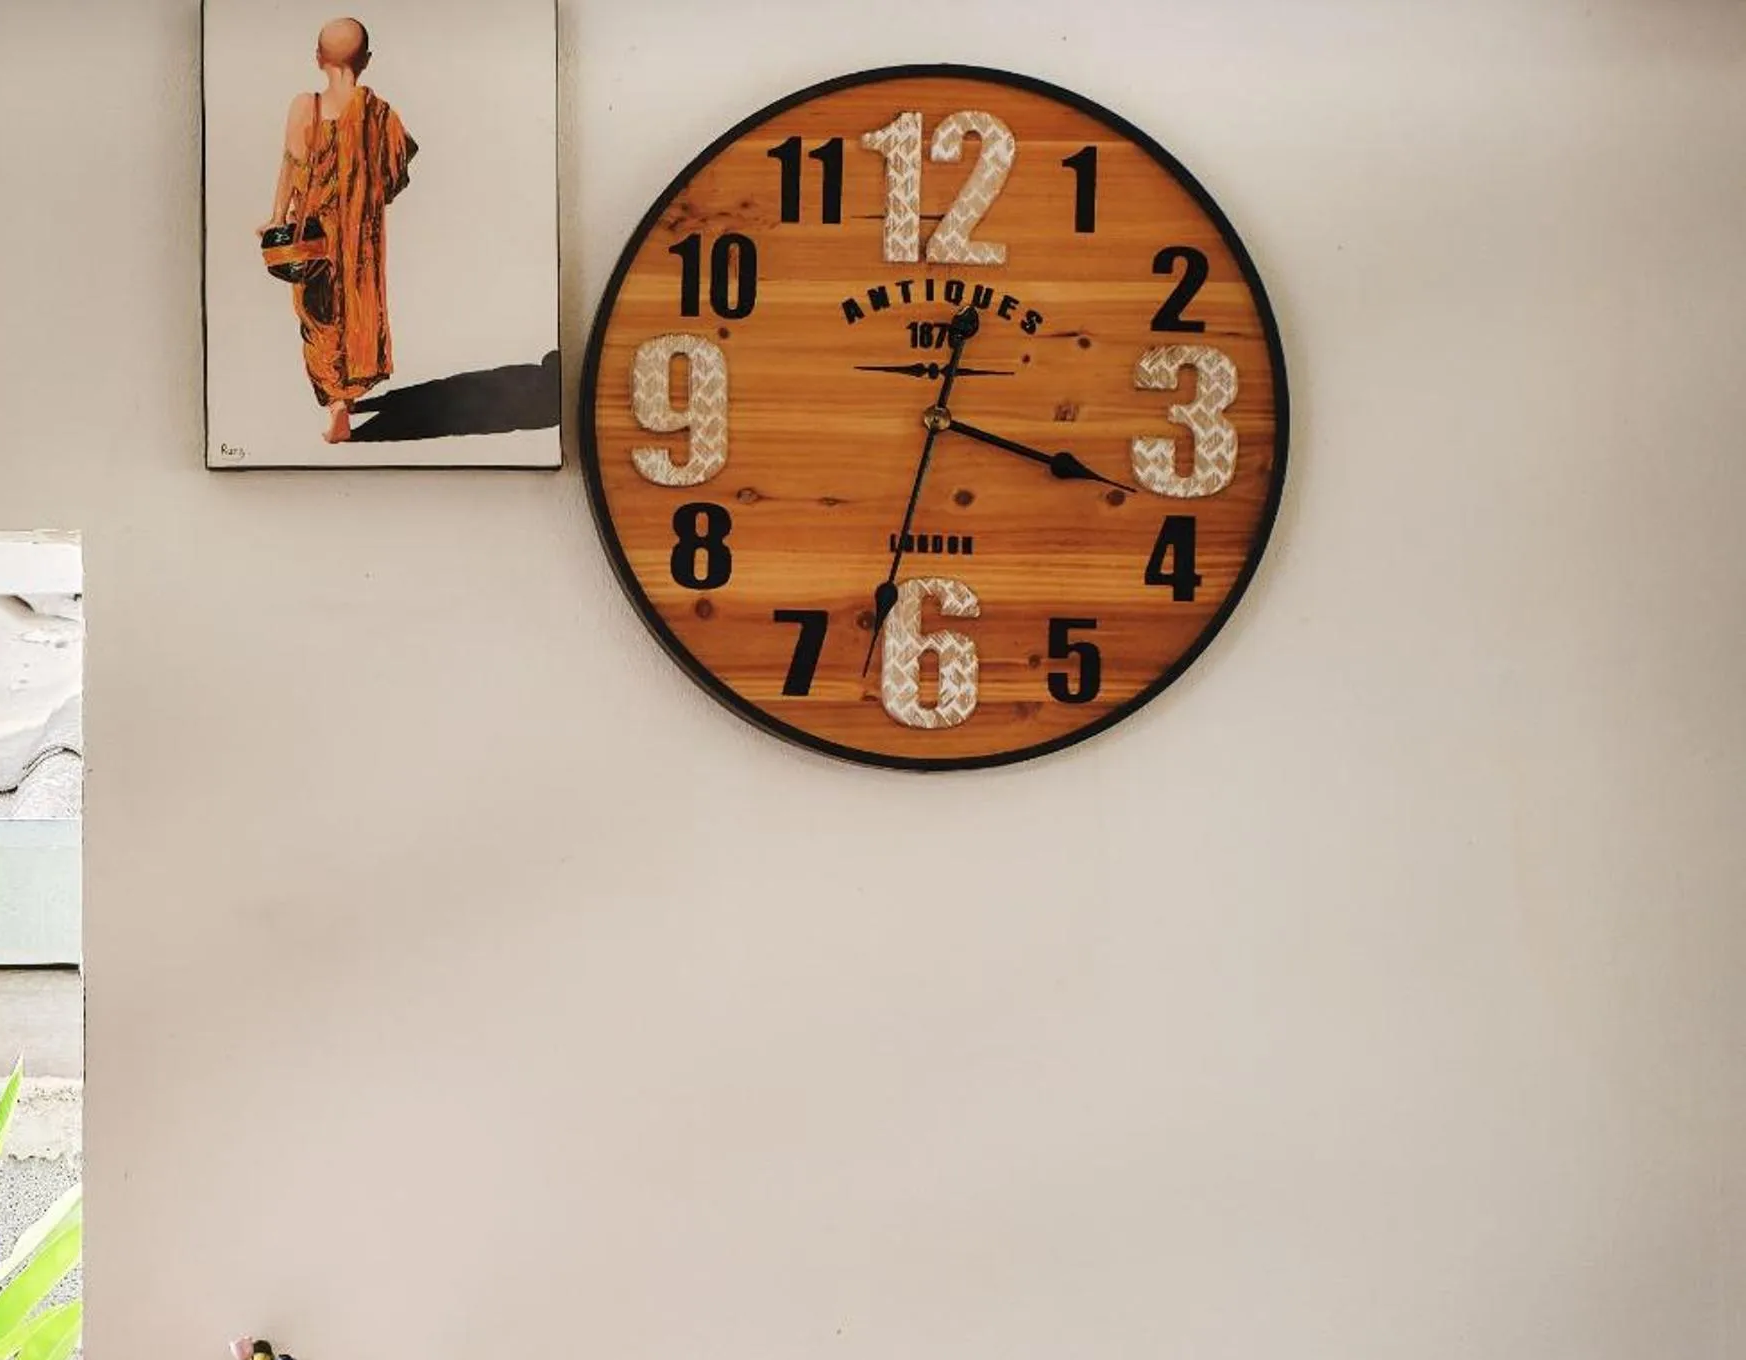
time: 3:32
